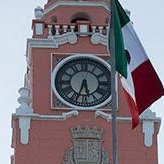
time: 5:33
